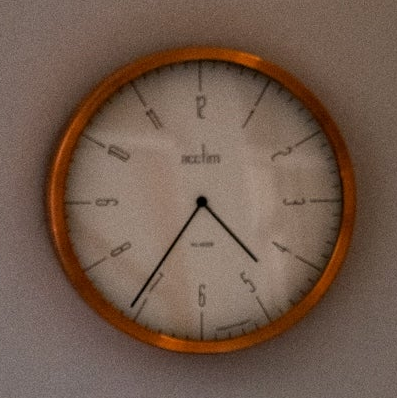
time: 4:35
